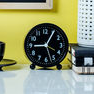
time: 9:05
